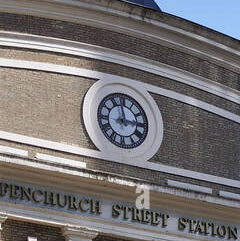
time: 2:58
